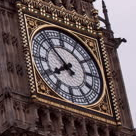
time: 7:52
